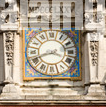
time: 3:41
